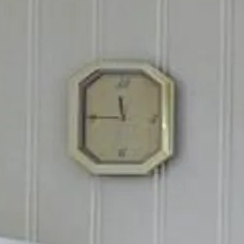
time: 11:45
